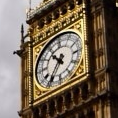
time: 10:36
